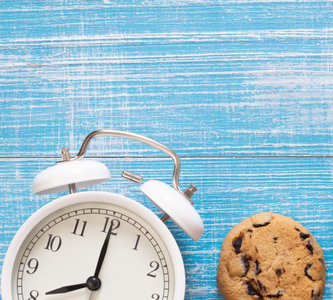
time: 8:00
